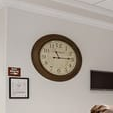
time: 11:14
